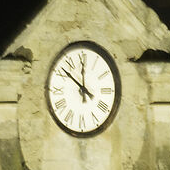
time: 11:51
